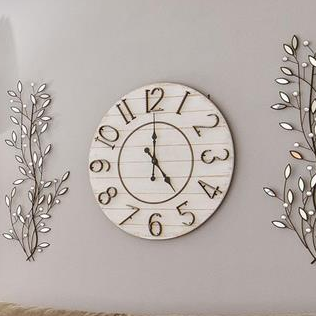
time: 5:00
